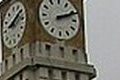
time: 2:11
